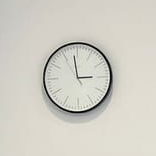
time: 2:58
